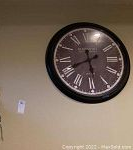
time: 5:41
